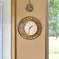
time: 1:32
